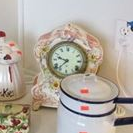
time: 9:38
